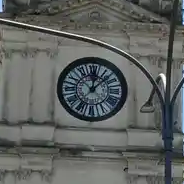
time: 12:07
